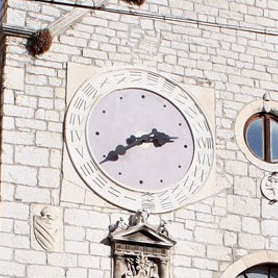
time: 2:39
